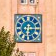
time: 6:14
